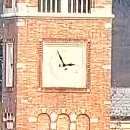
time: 2:56
